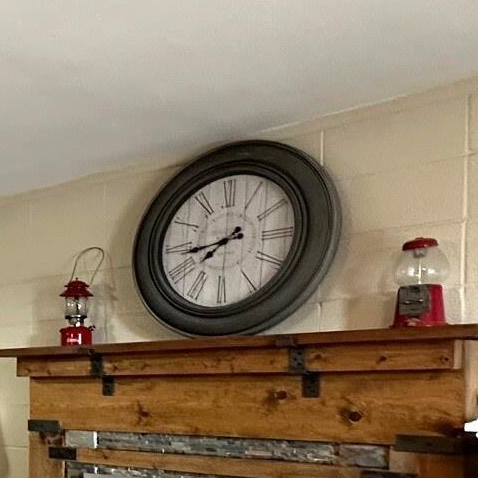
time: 7:43
